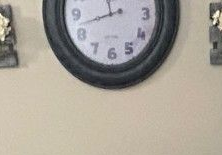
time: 11:42
